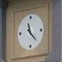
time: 11:21
